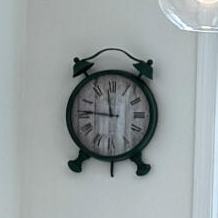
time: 11:46
